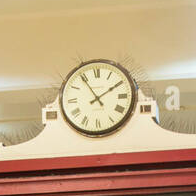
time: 1:54
